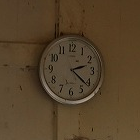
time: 2:21
